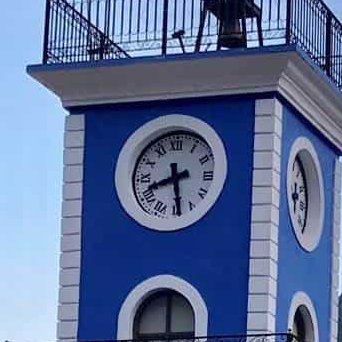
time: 8:28
